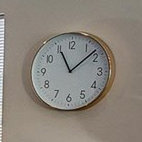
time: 11:08
